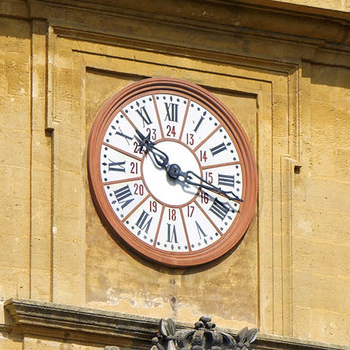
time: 10:17
